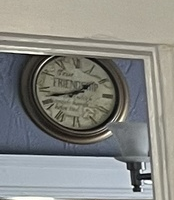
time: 1:42
